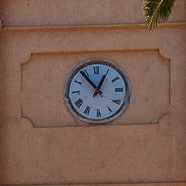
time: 12:53
